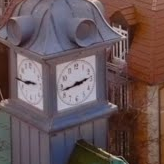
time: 2:43
